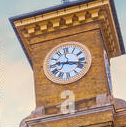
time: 9:17
